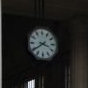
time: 3:39
